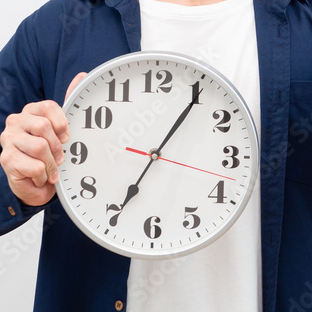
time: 7:05
